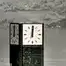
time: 12:00
